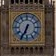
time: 6:34
